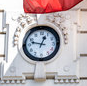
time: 12:47
